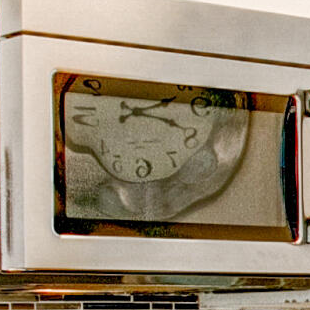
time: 2:18
